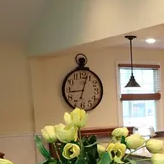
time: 9:02
